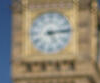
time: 5:13
